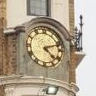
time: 4:11
